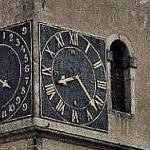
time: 8:22
